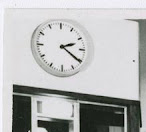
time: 2:20
